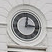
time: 3:02
